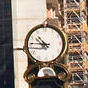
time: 10:45
